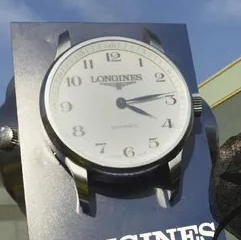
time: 4:13
